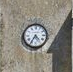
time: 4:35
